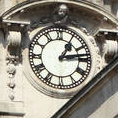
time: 1:13
